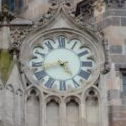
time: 4:42
